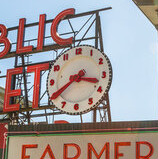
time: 3:40
